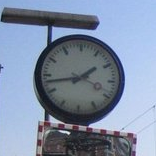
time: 1:43
